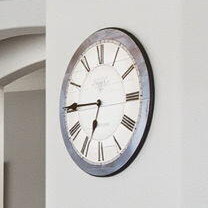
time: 6:45
